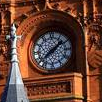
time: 1:38
